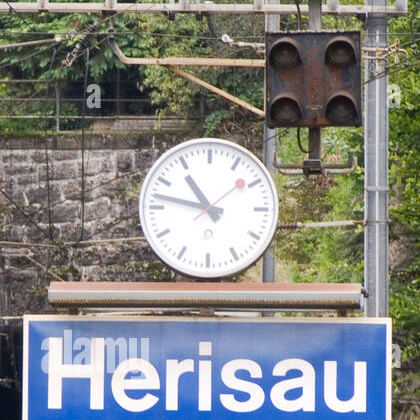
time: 10:47
